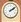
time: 2:08
